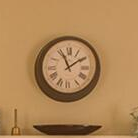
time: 11:09
